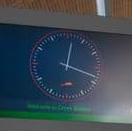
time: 12:18
